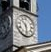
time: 10:28
